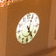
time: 5:03
